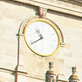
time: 10:38
